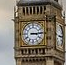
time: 3:14
